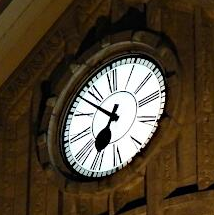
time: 6:52
